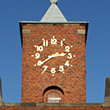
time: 2:39
